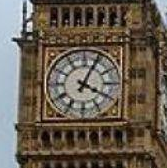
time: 4:04
